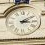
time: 3:09
